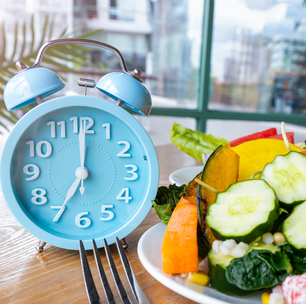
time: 7:00
